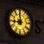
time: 8:59
